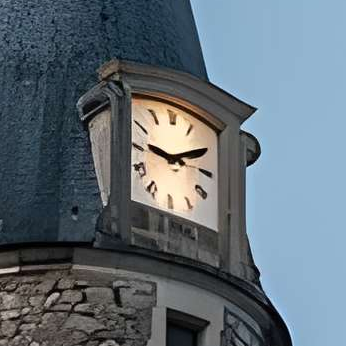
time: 9:10
